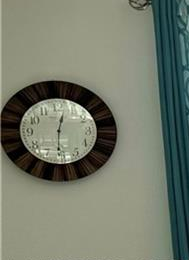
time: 12:30
